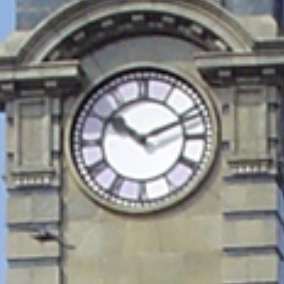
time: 10:11
